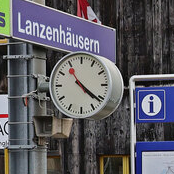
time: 4:21
